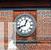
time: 12:41
